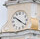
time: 10:21
